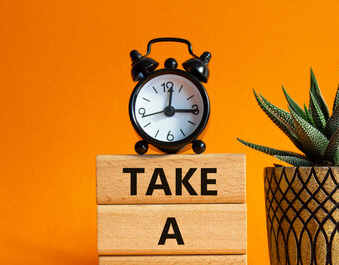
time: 3:01
